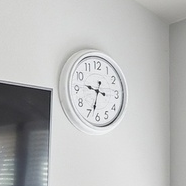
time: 9:32
